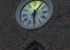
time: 6:06
